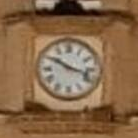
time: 10:17
